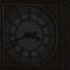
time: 3:42
